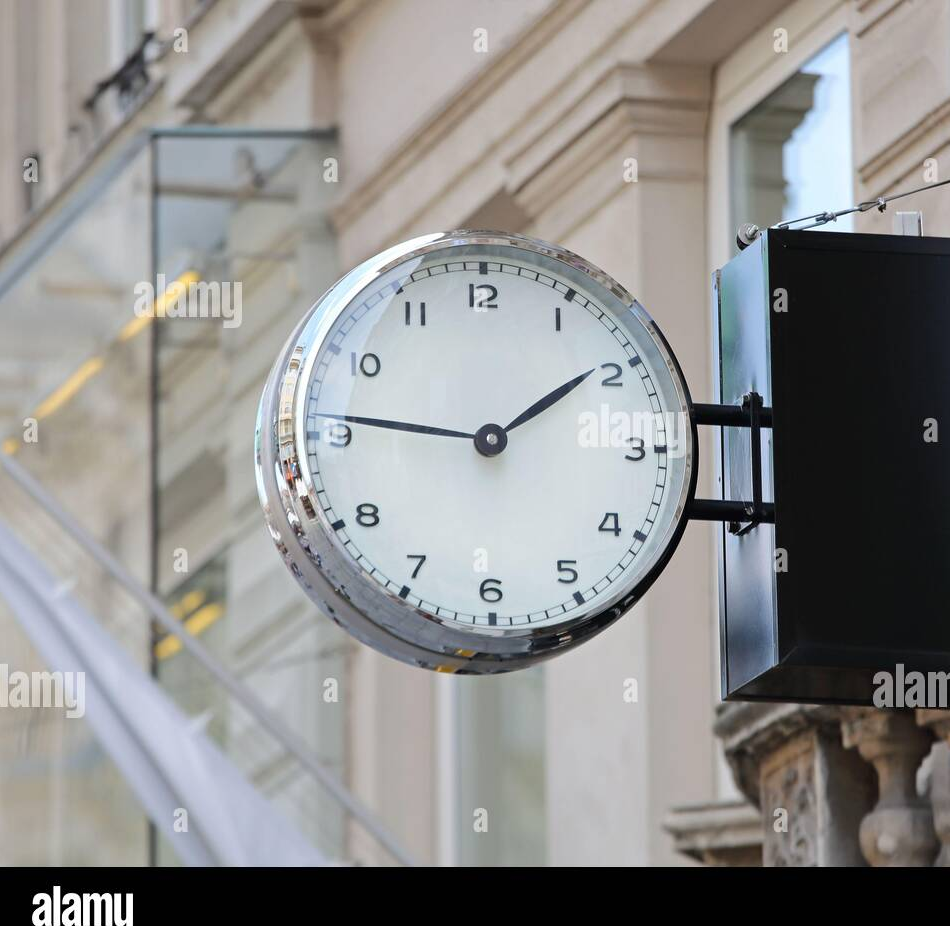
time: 1:46
